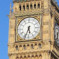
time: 5:33
